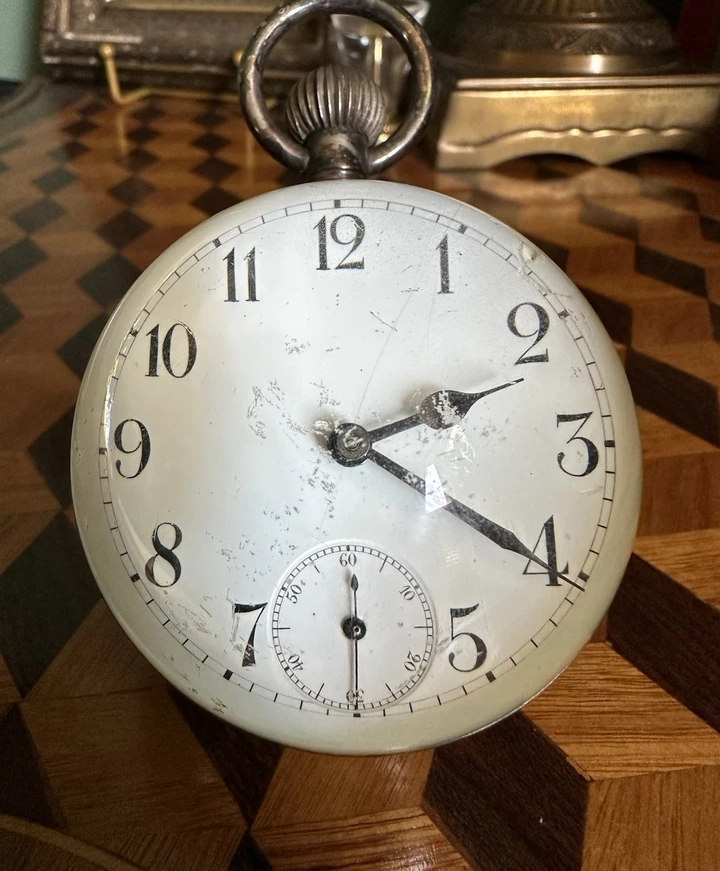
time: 2:20
